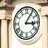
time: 3:05
